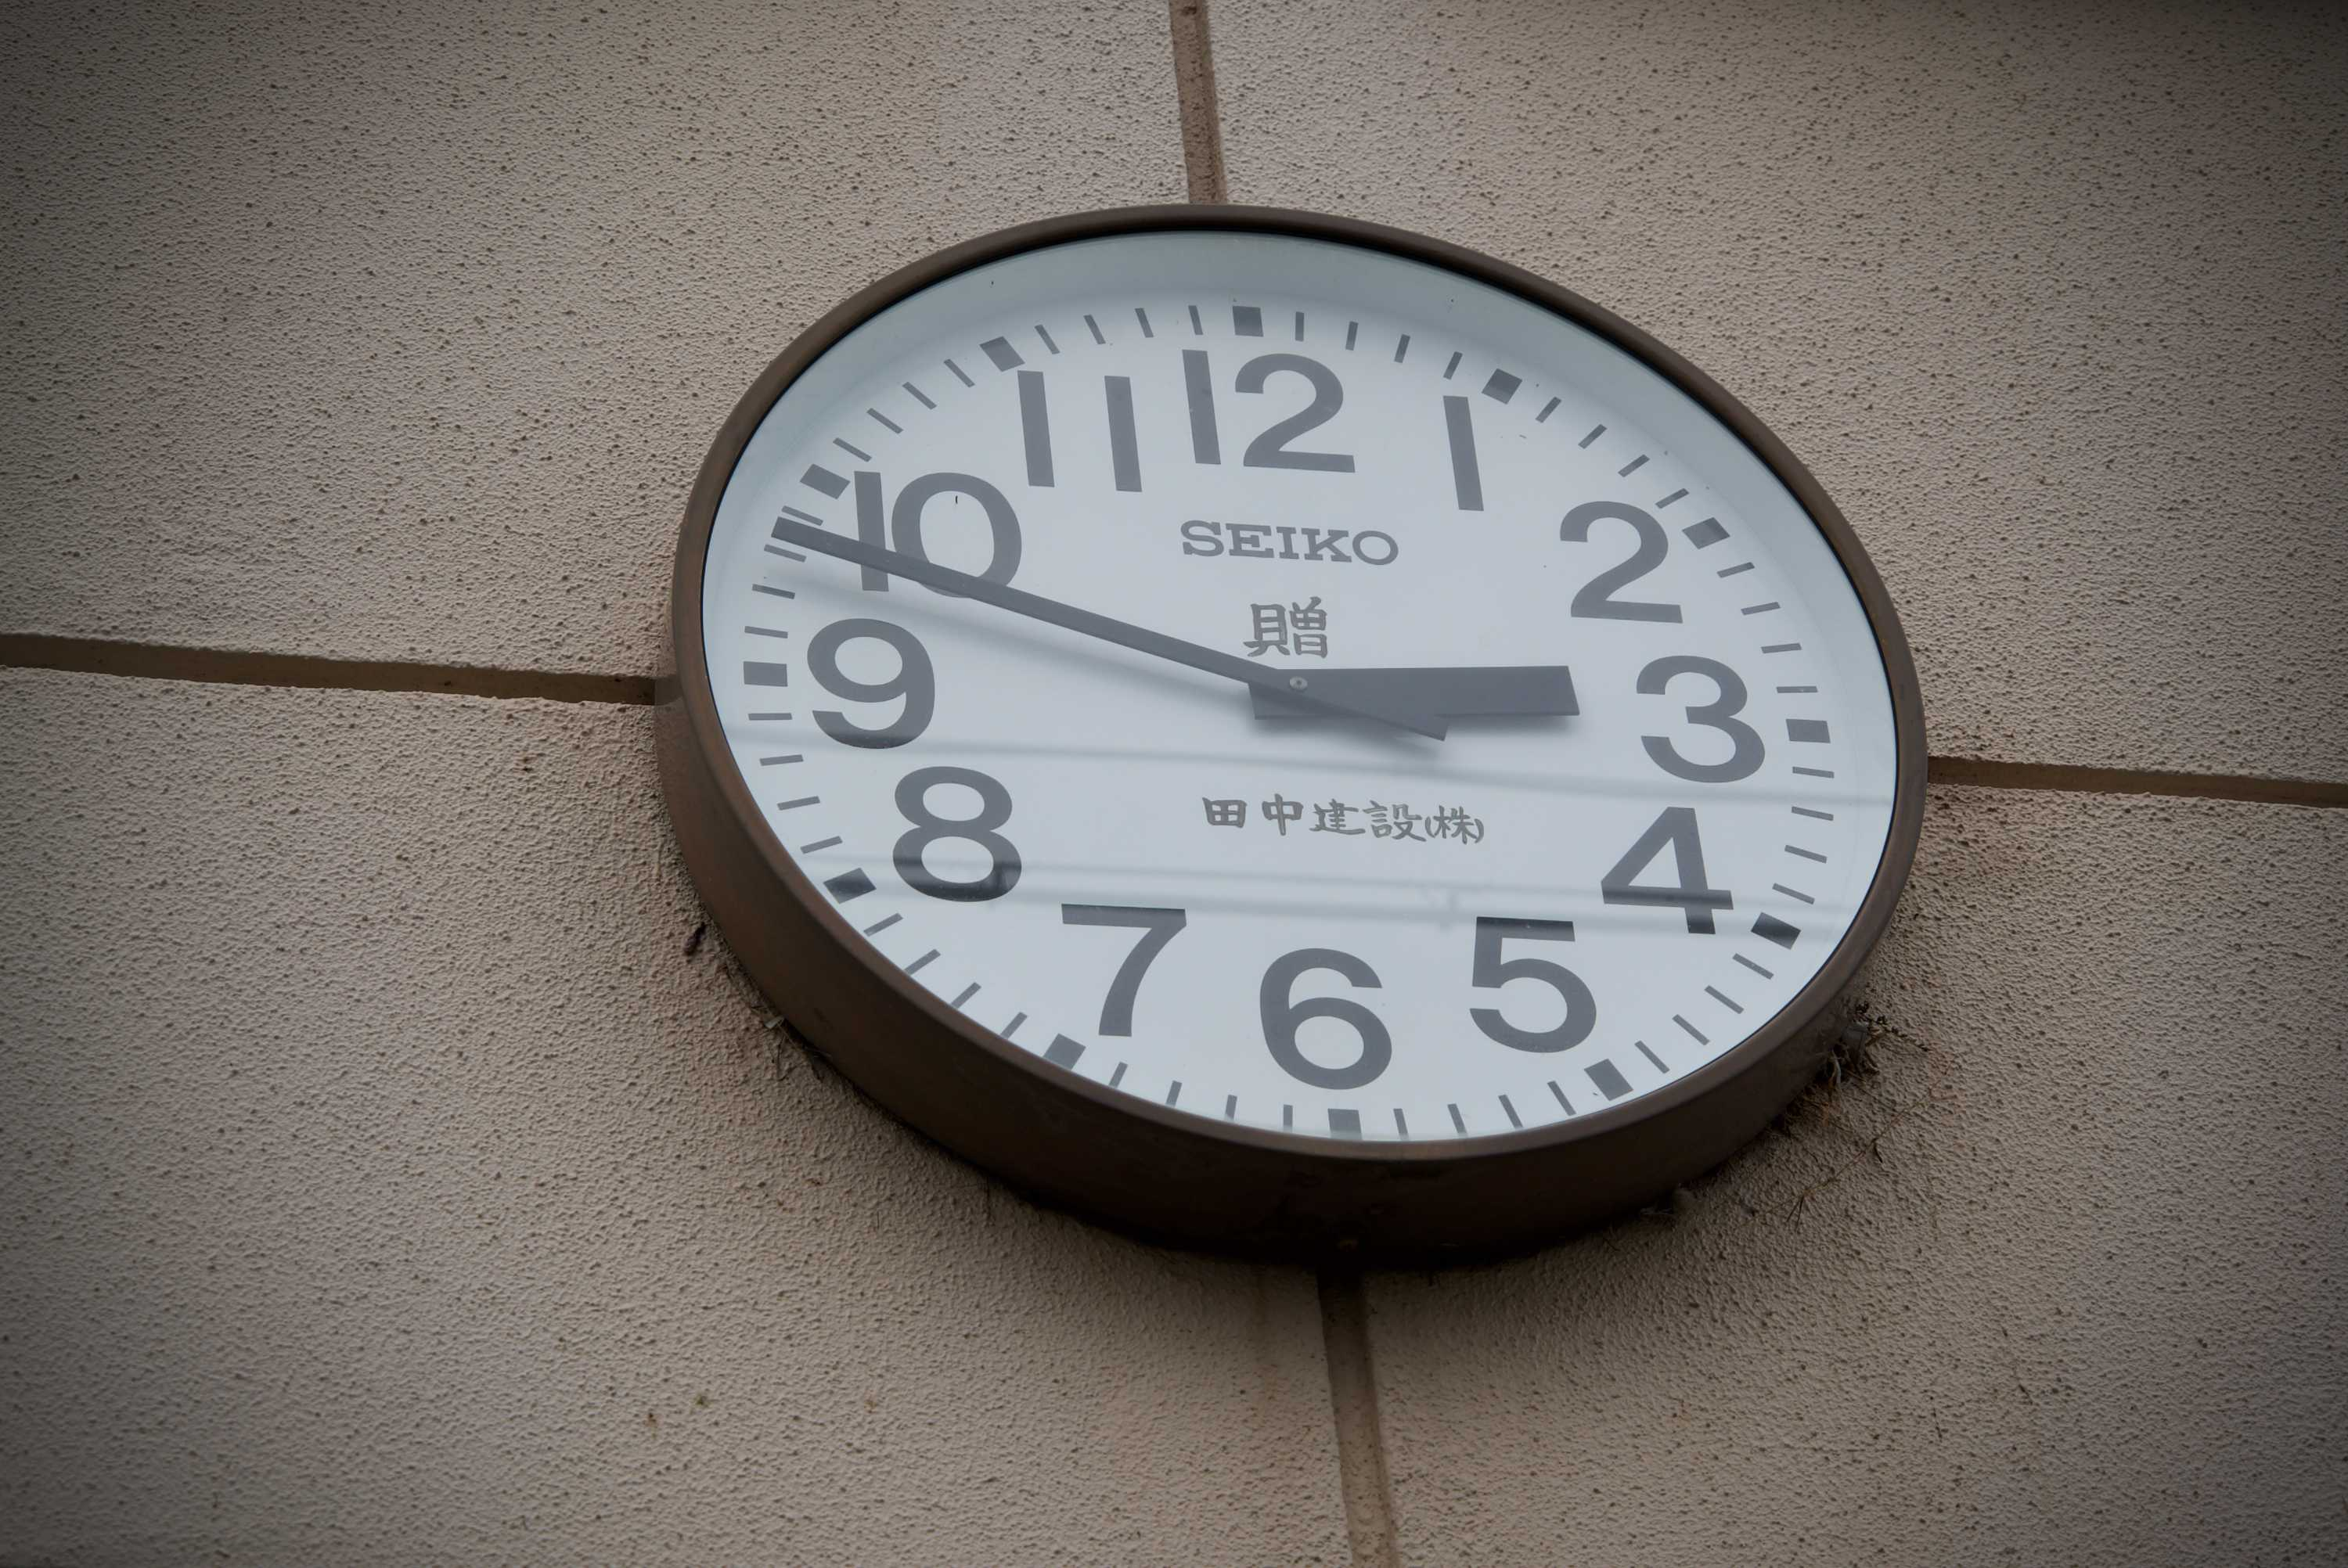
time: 2:48
